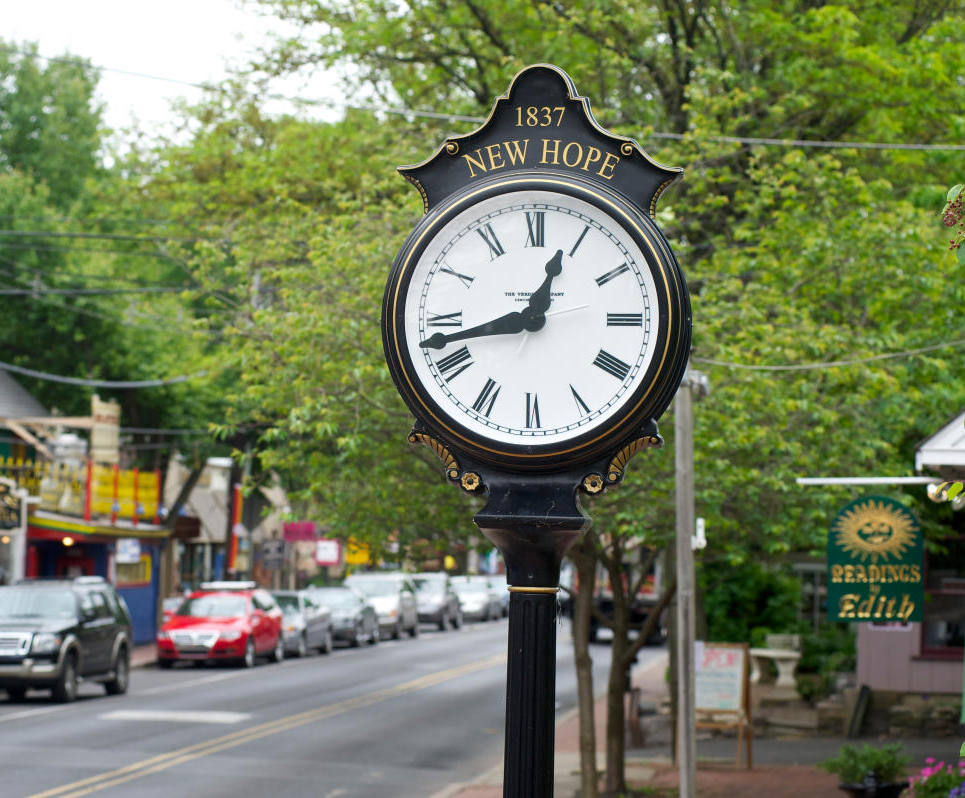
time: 12:42
